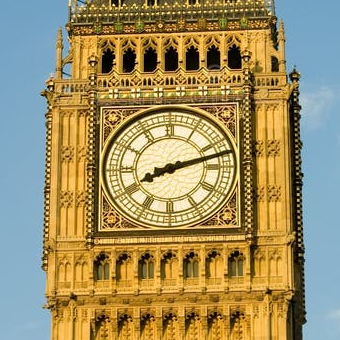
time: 8:12
